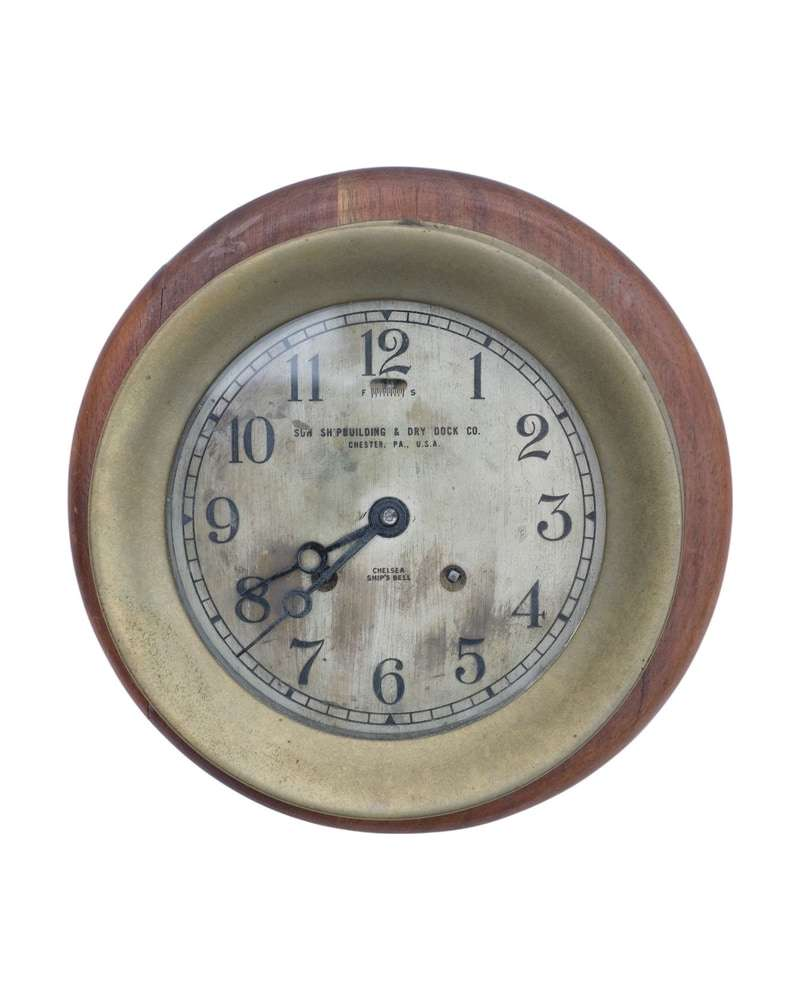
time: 7:40
